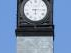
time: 6:14
